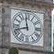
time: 11:42
